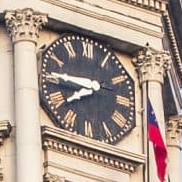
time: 7:45
